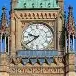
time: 9:39
